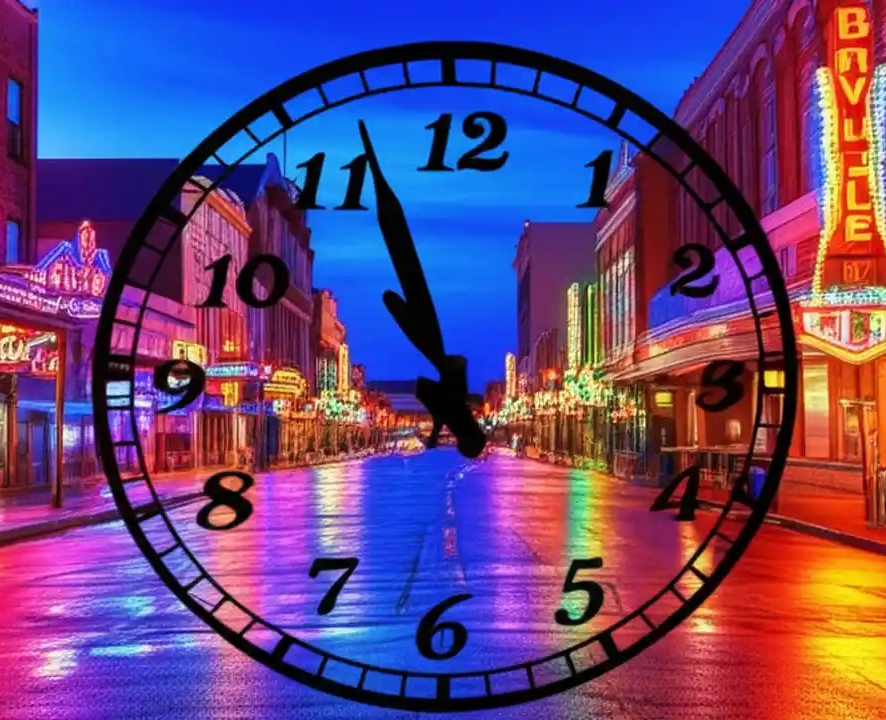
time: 10:56
